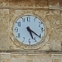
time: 5:21
